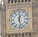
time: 12:27
